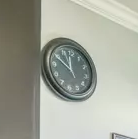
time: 11:49
